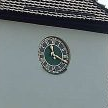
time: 11:18
